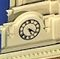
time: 5:20
